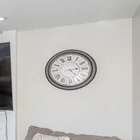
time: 2:23
